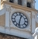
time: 12:32
